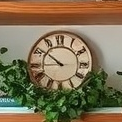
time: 8:51
